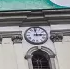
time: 2:59
